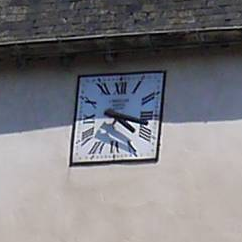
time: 4:17
